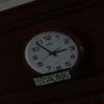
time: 2:53
